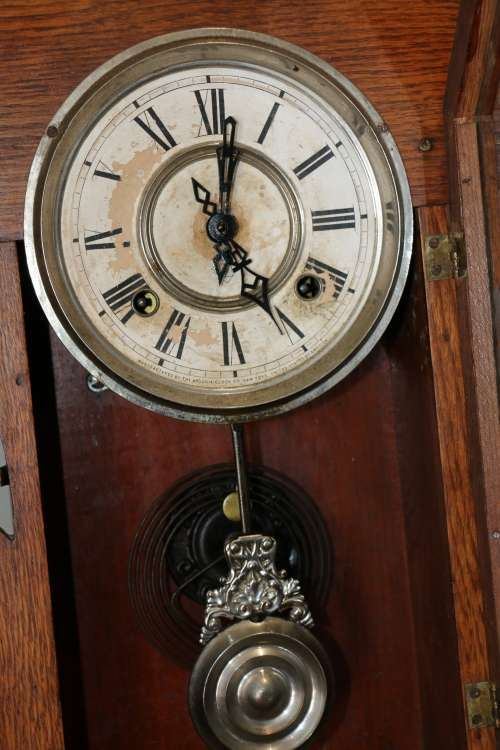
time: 5:01
